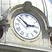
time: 2:52
